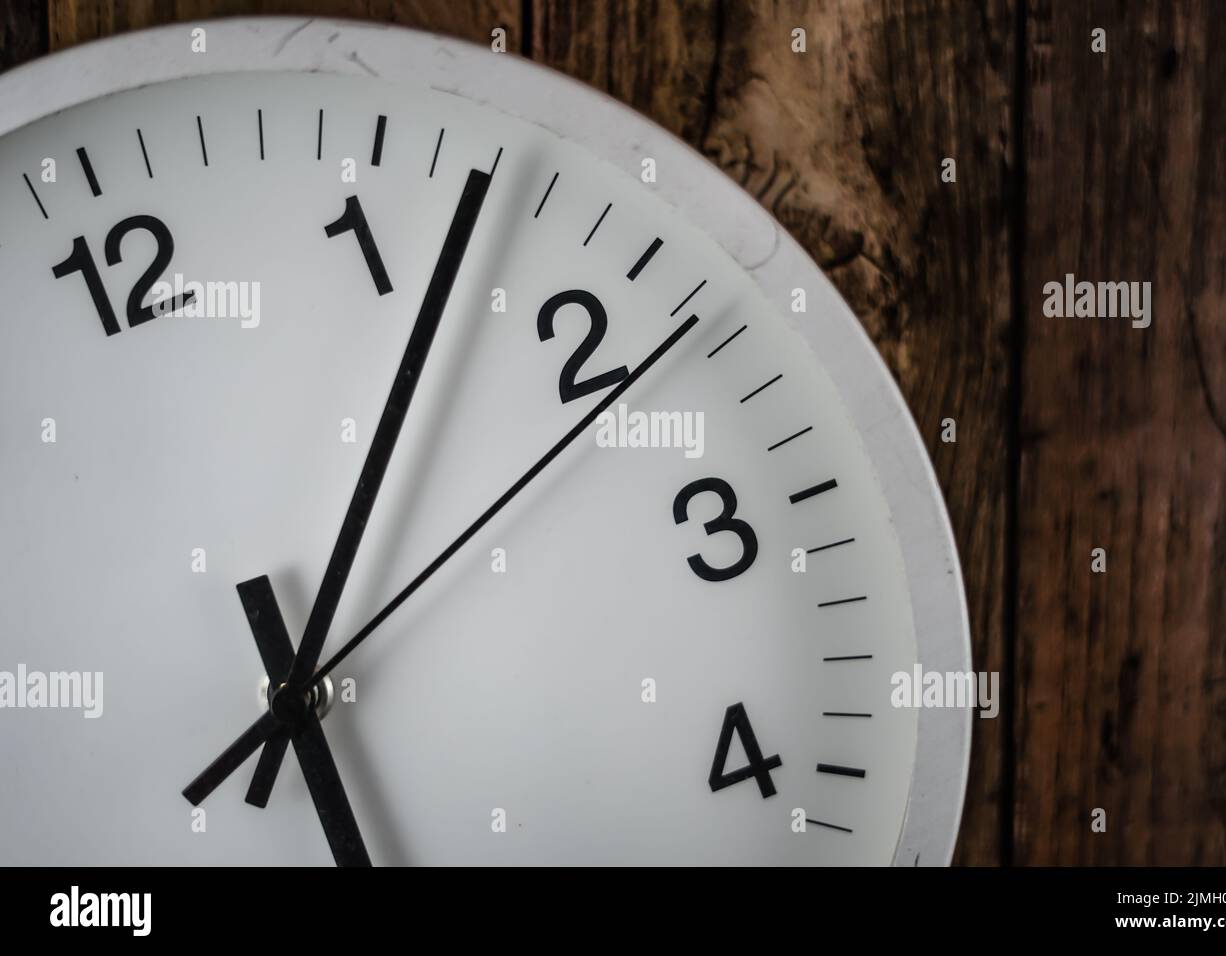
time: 5:06
